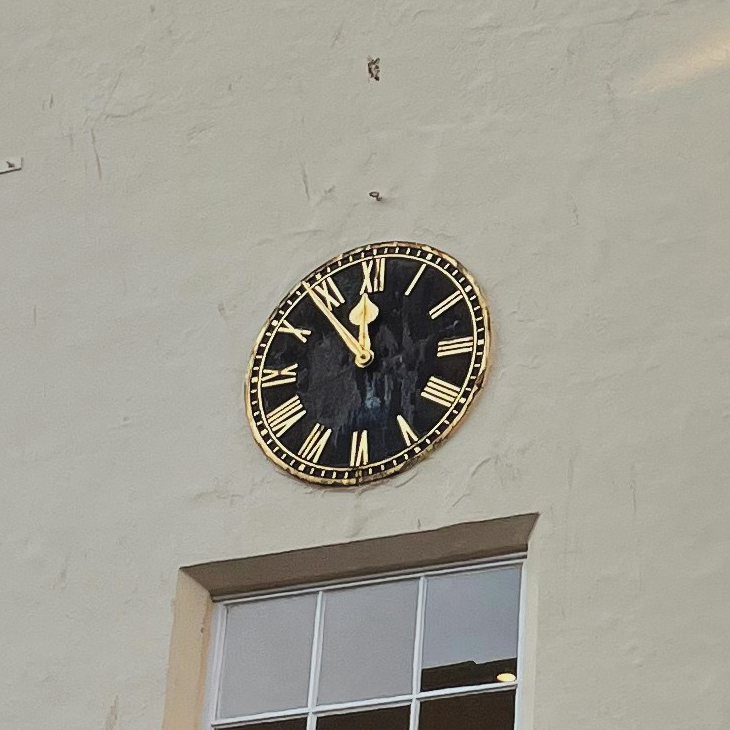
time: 11:53
